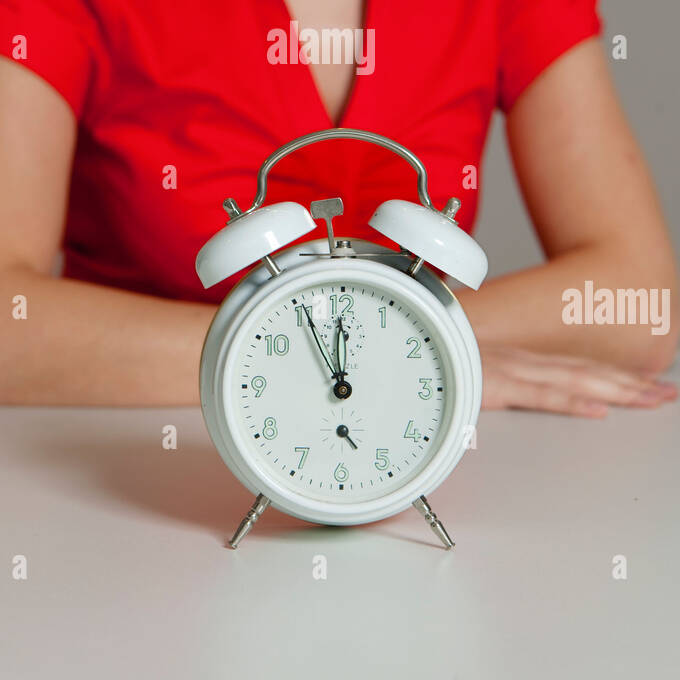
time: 11:00
